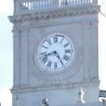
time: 4:42
